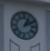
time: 1:10
